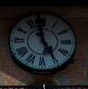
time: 4:57
